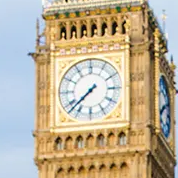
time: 7:37
